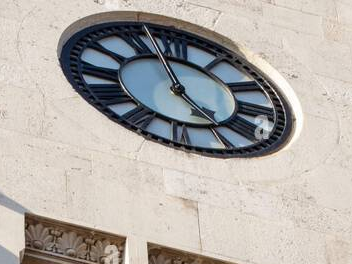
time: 4:57
